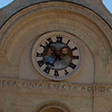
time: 6:52
